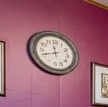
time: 11:41
